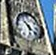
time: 4:52
